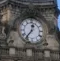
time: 12:36
